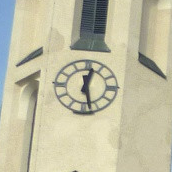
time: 12:27
